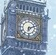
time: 6:12
